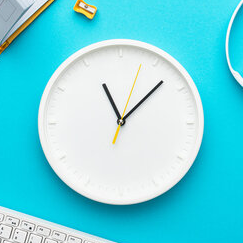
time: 11:07
